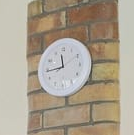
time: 11:44
